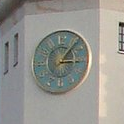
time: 3:06
